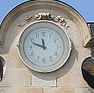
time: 11:48
